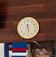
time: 11:28
